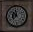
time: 11:52
